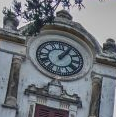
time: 1:05
